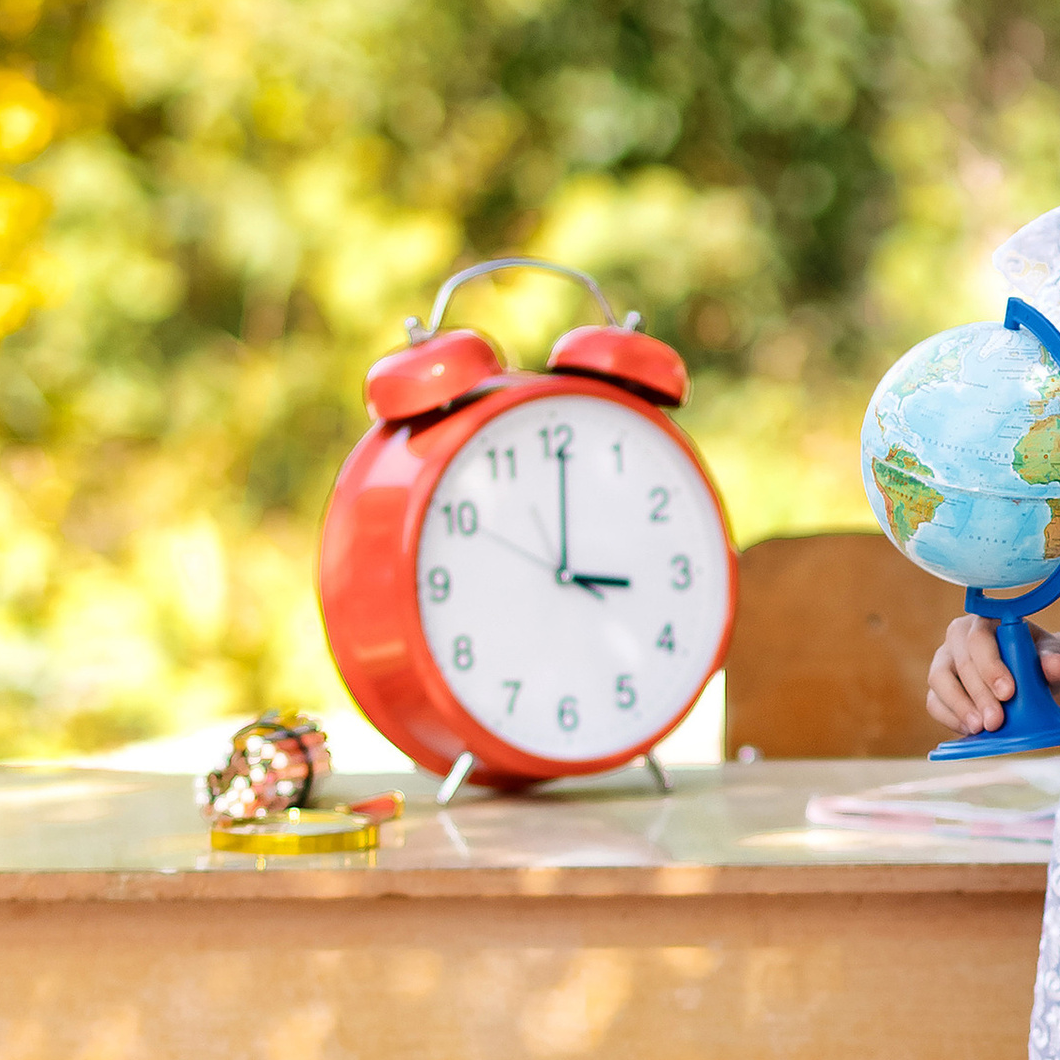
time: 3:00
